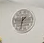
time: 1:32
